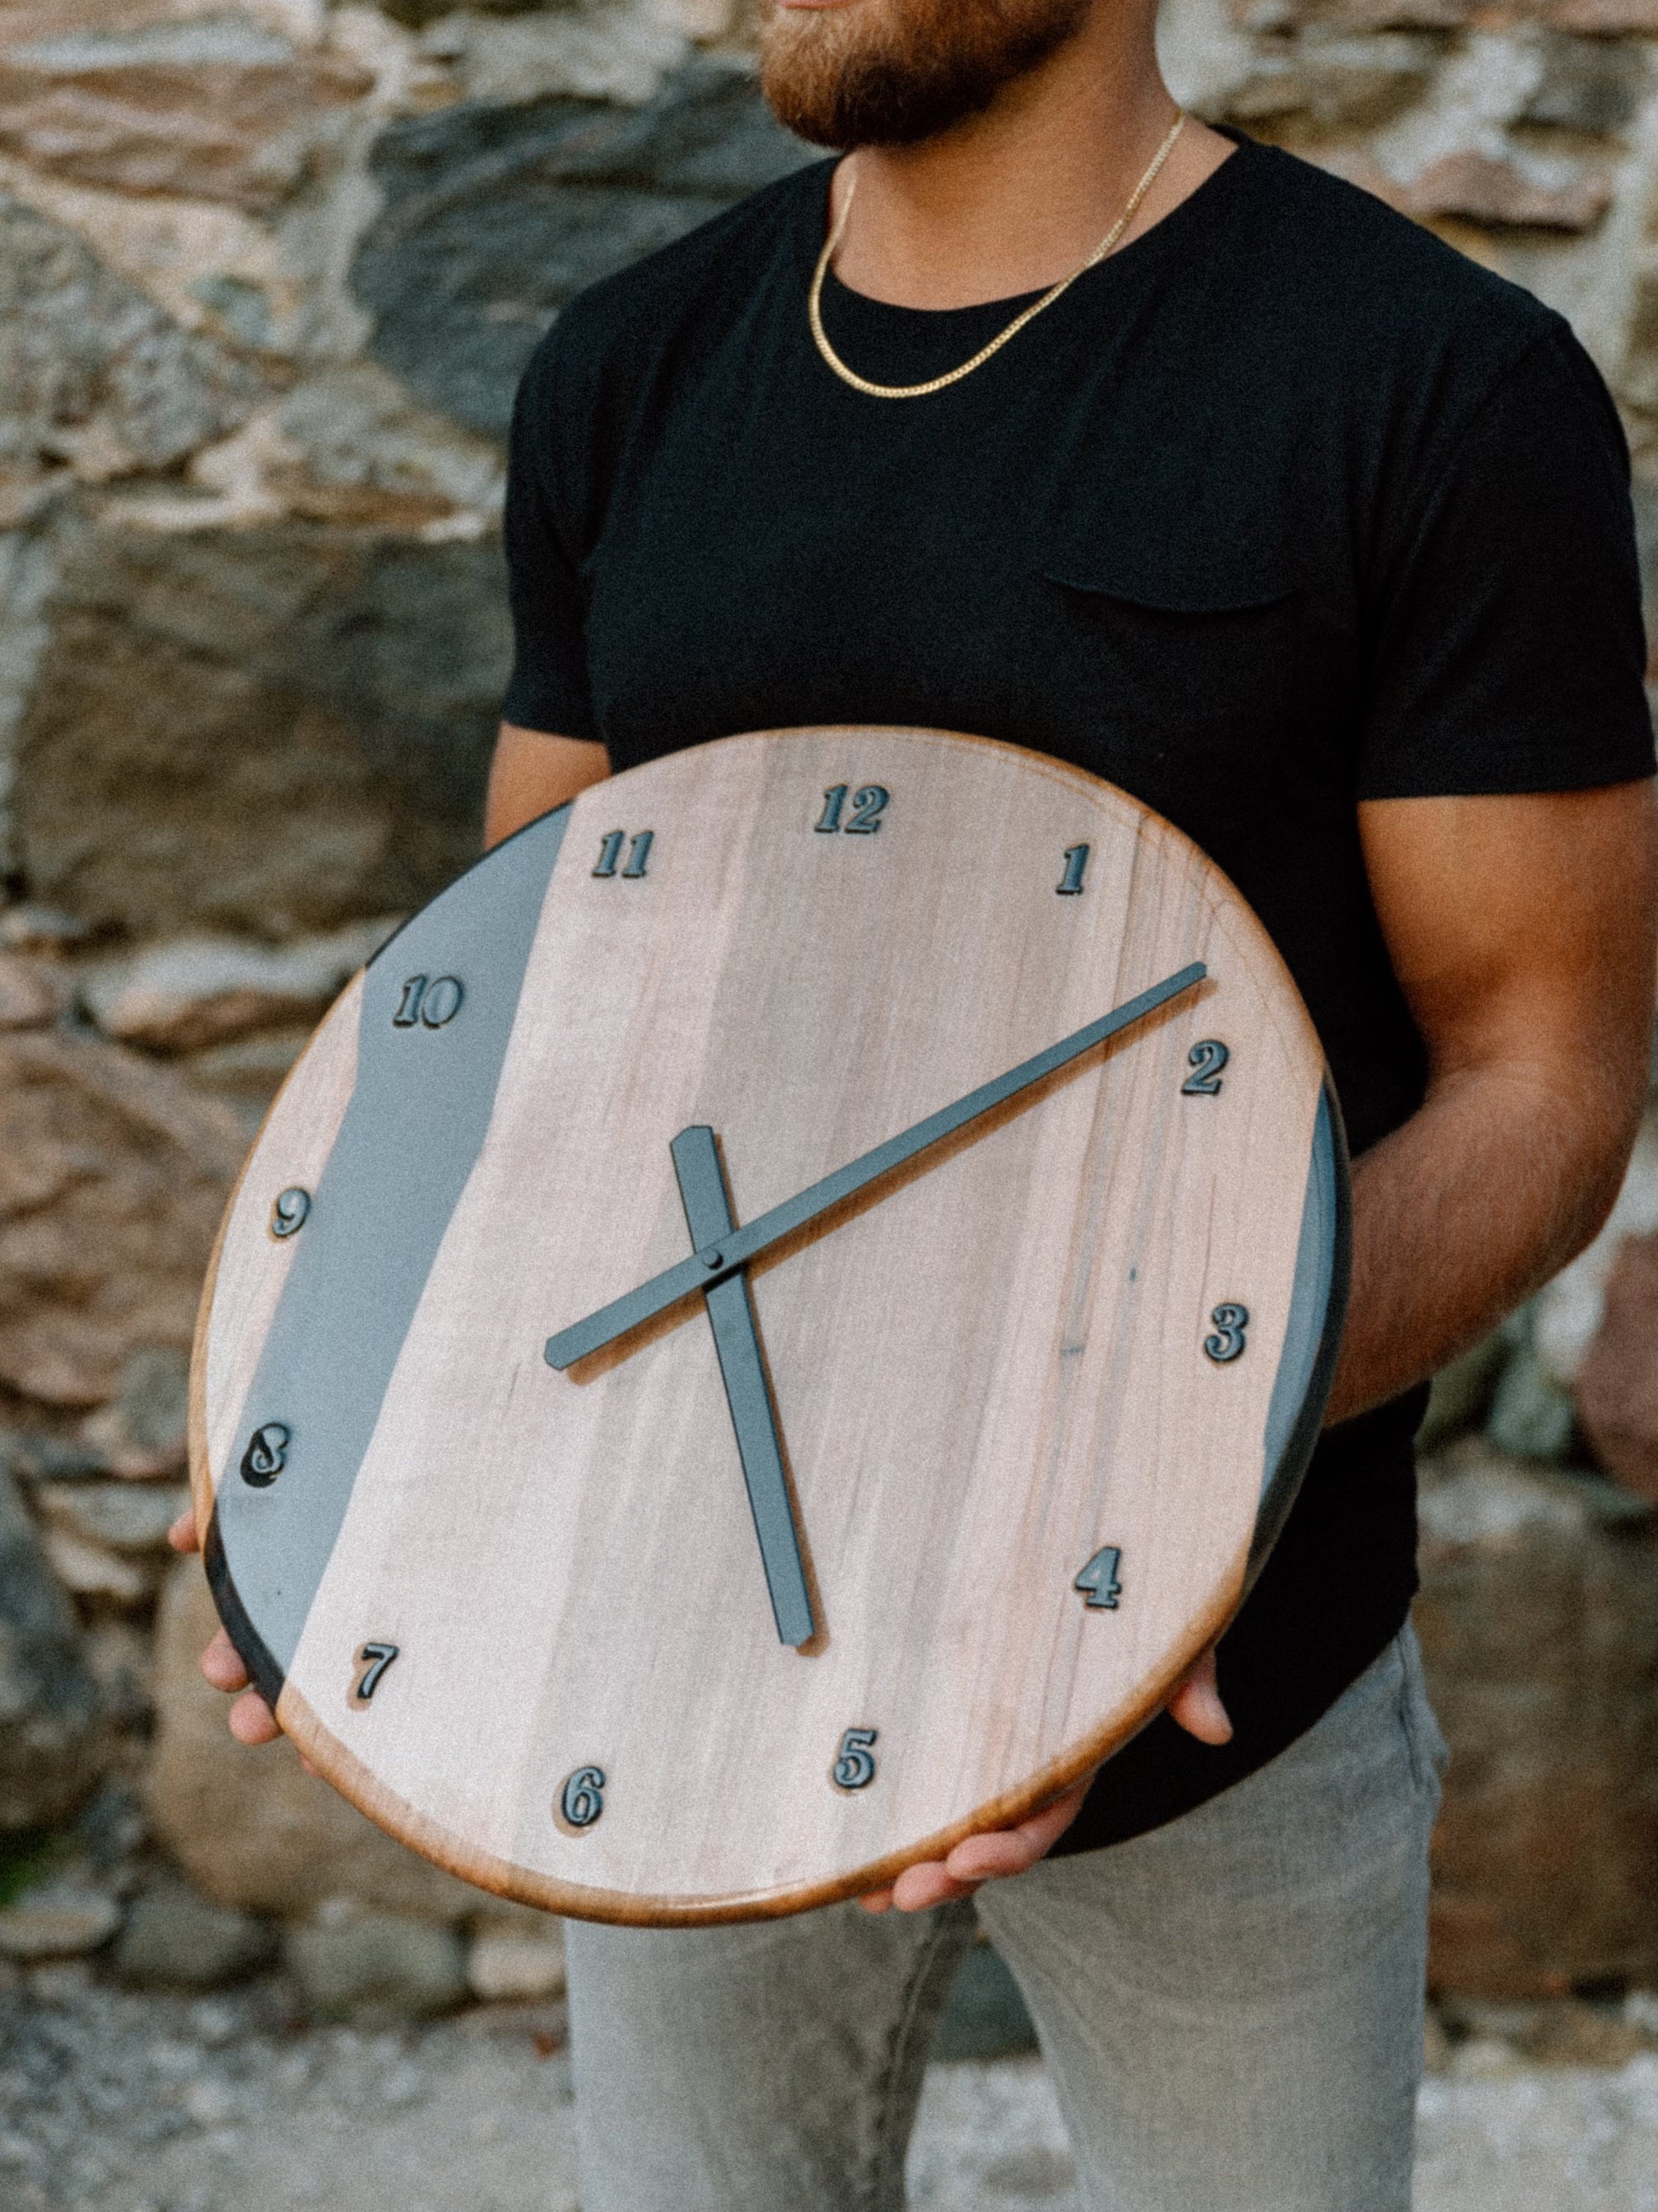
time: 5:08
